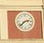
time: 2:38
